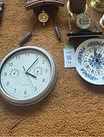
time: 4:06
